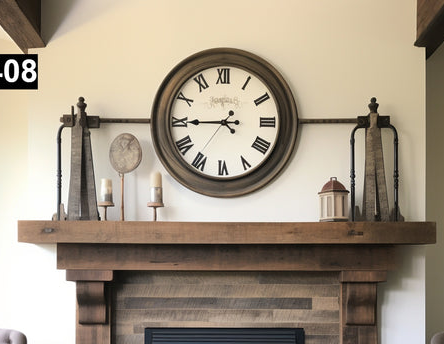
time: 4:44
